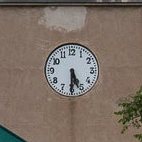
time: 5:30
